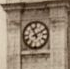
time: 11:10
